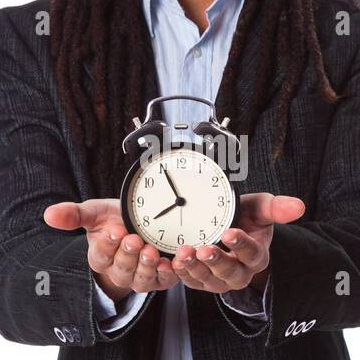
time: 7:55
